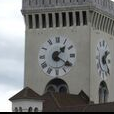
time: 1:20
